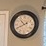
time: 10:40
